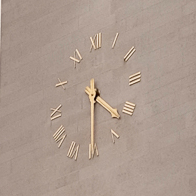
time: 4:30
